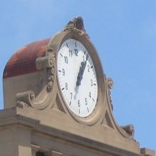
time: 1:06
